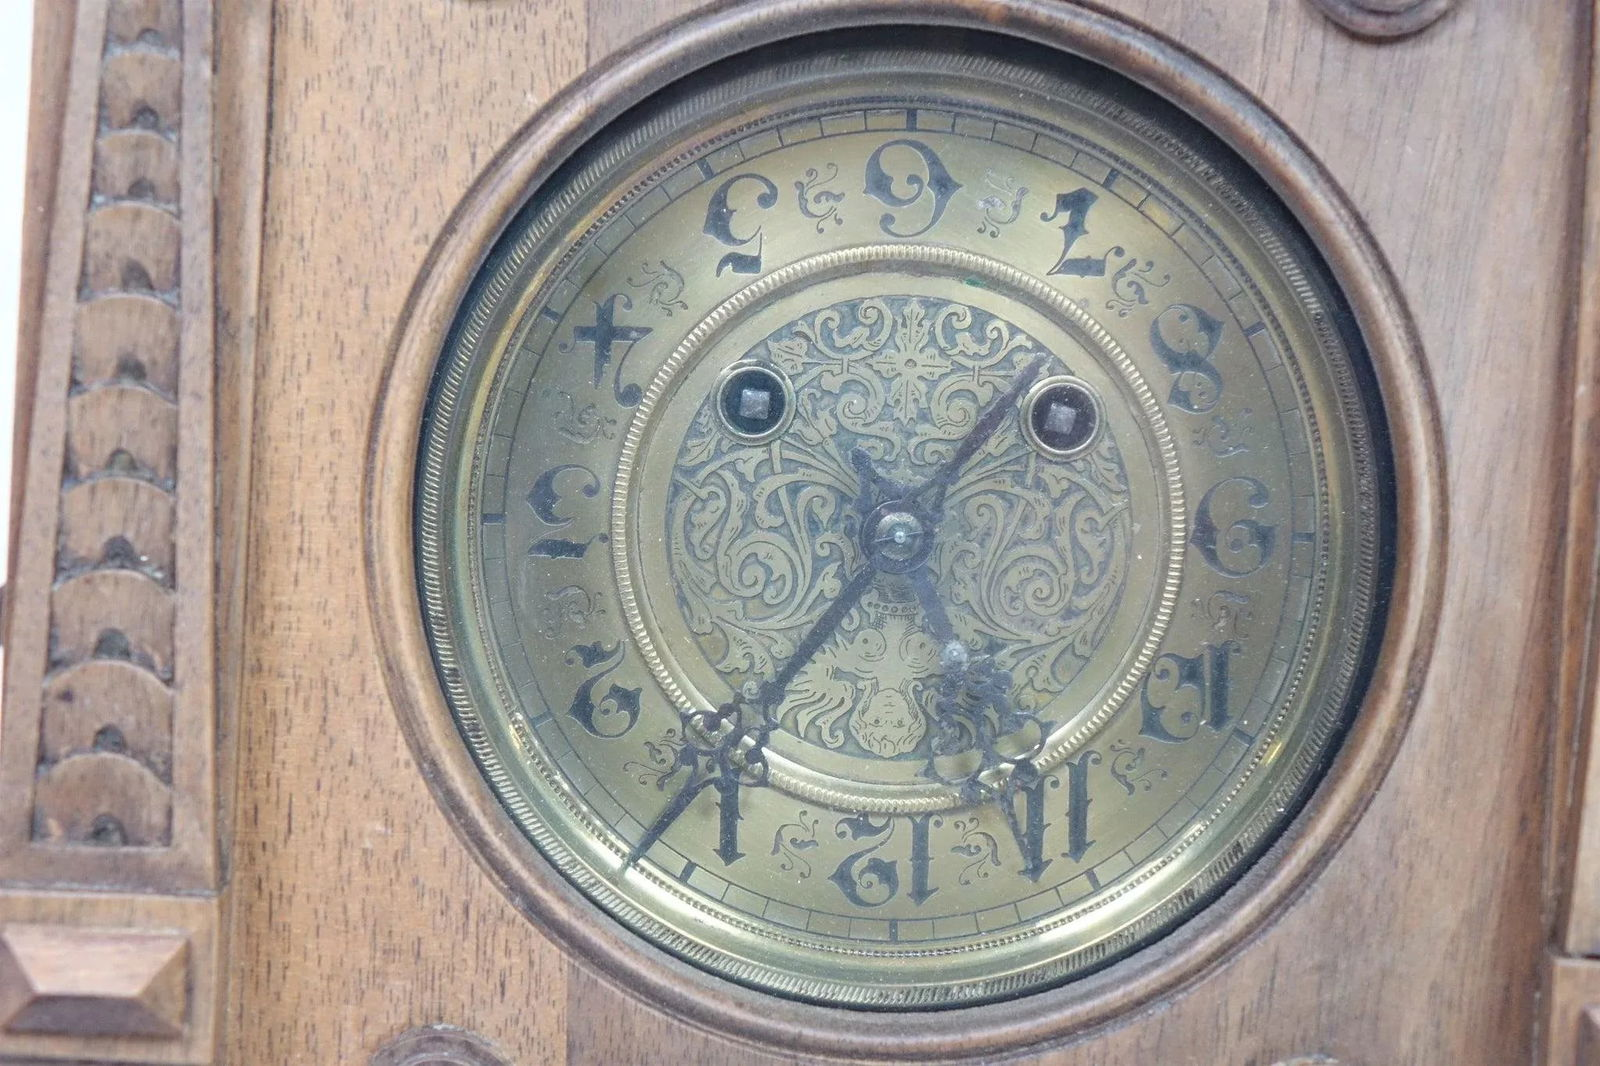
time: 1:36
